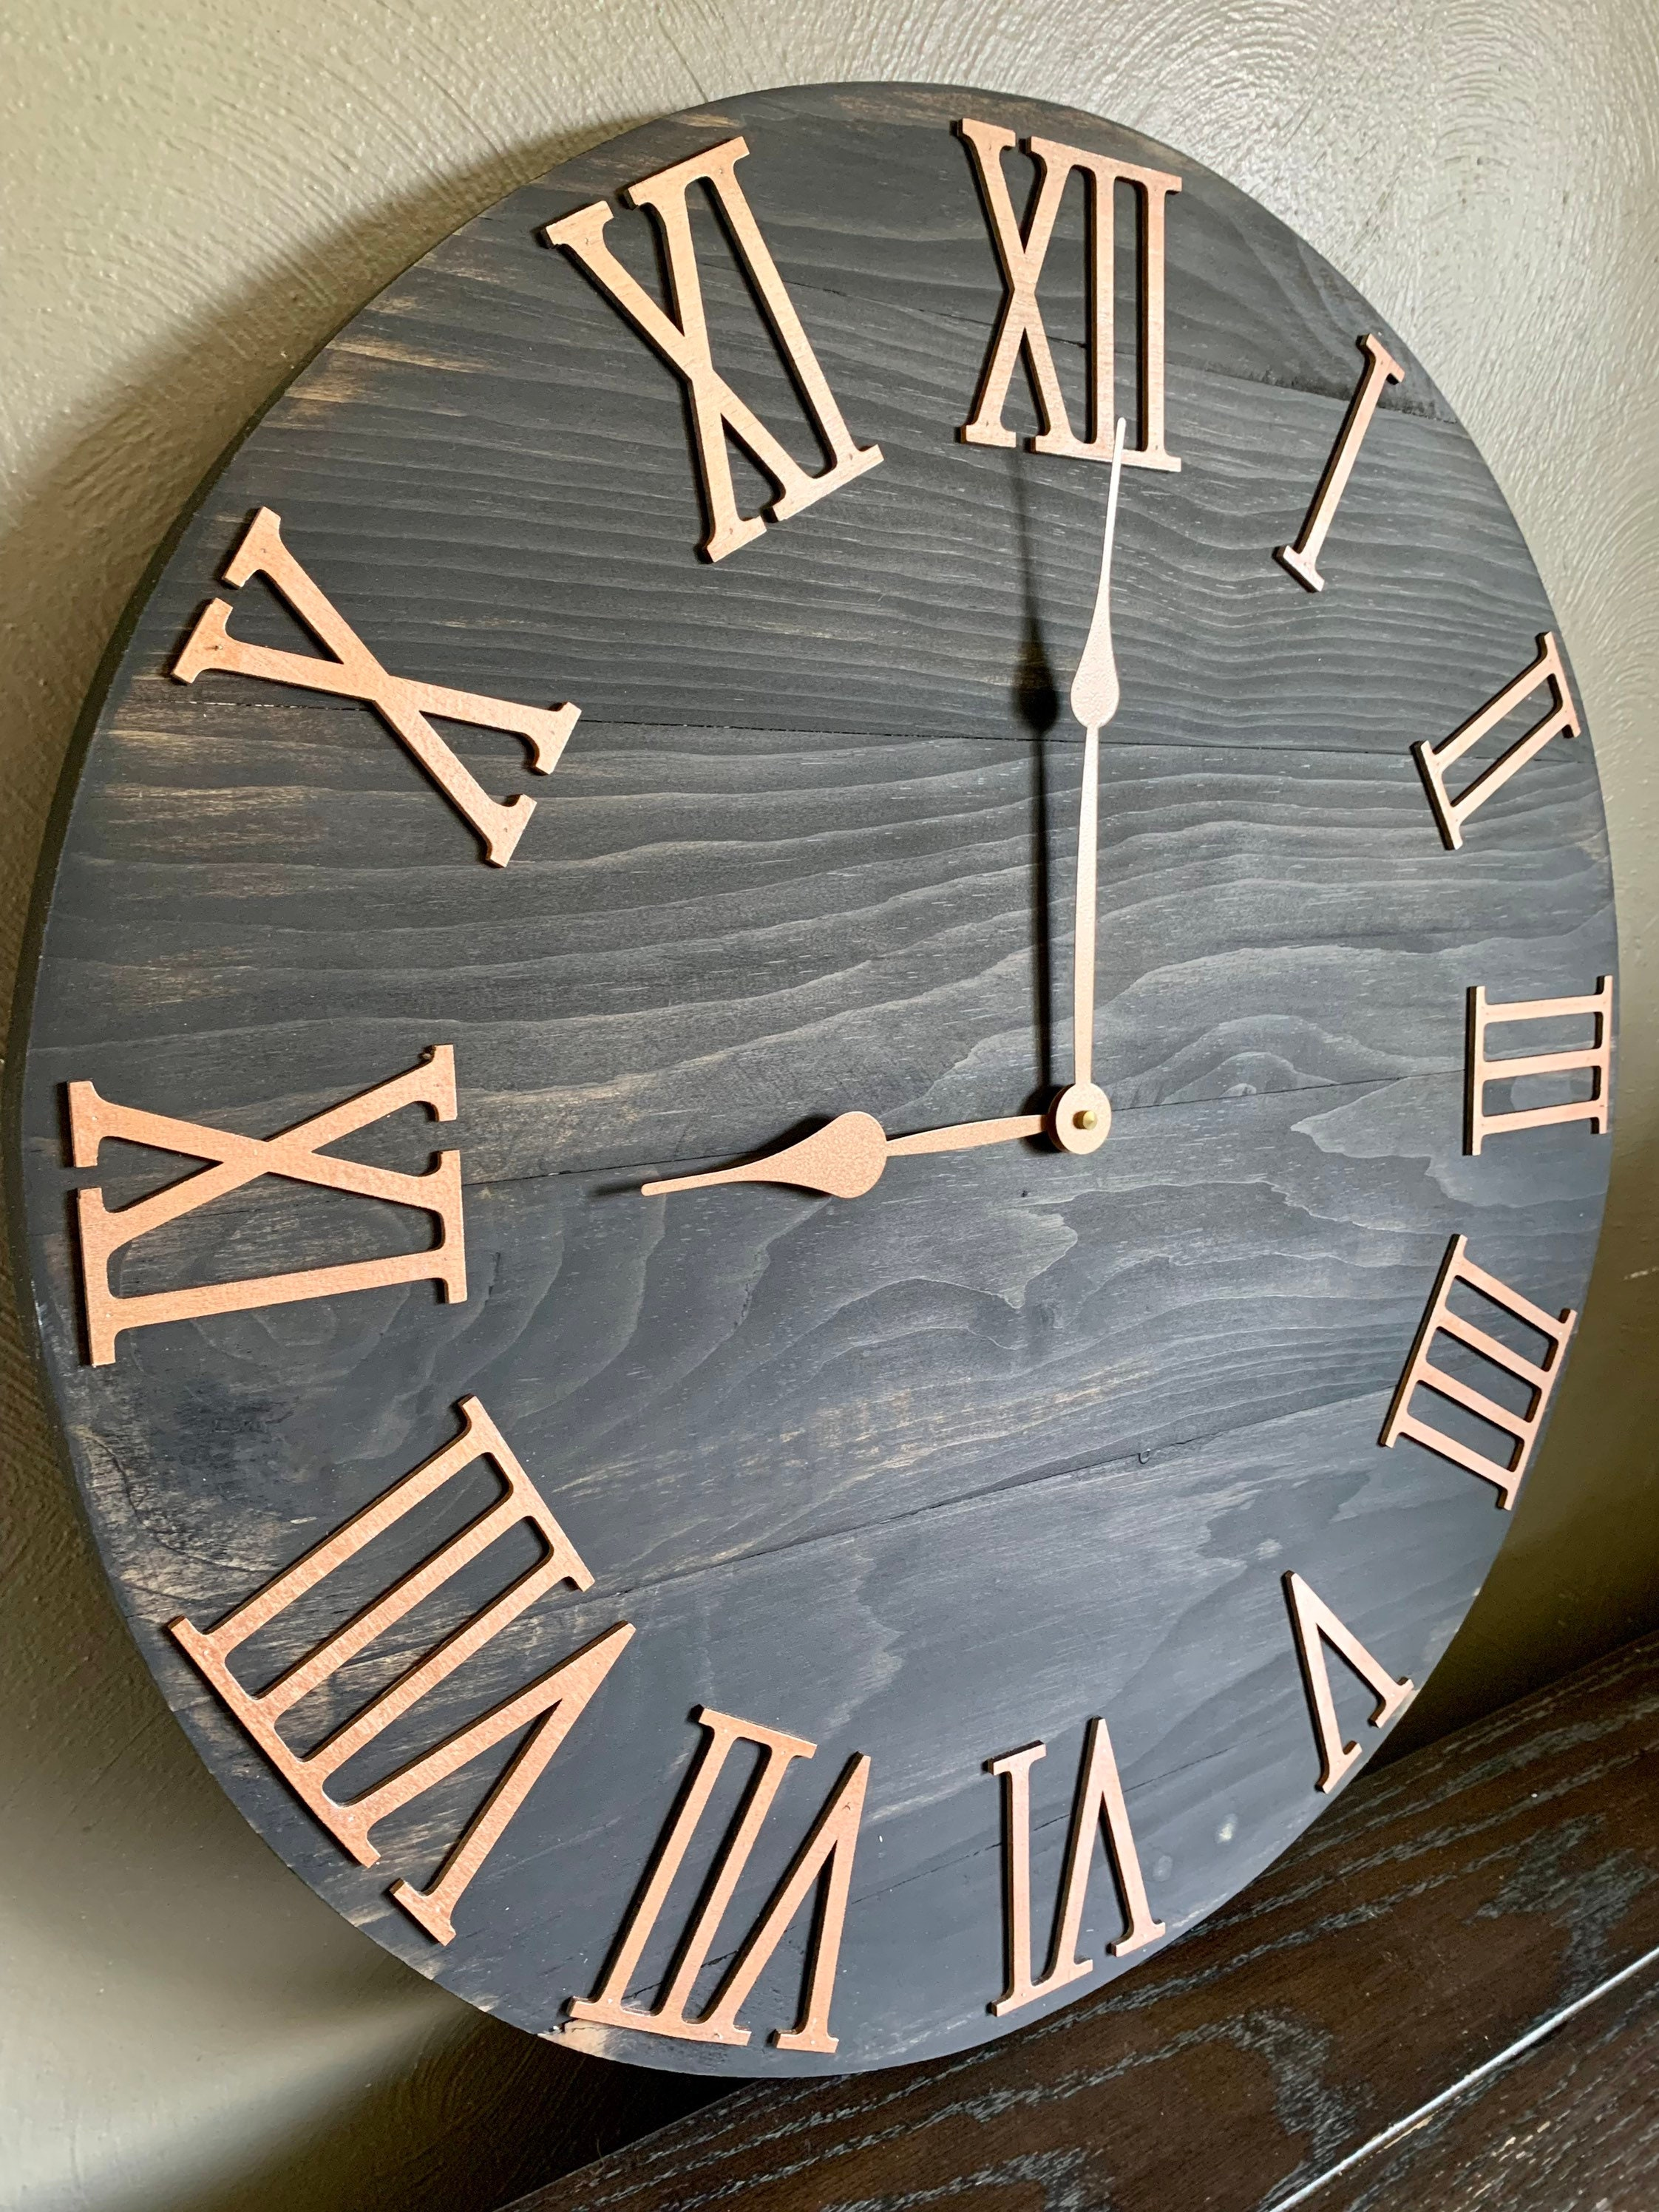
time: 8:59
